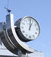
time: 1:02
